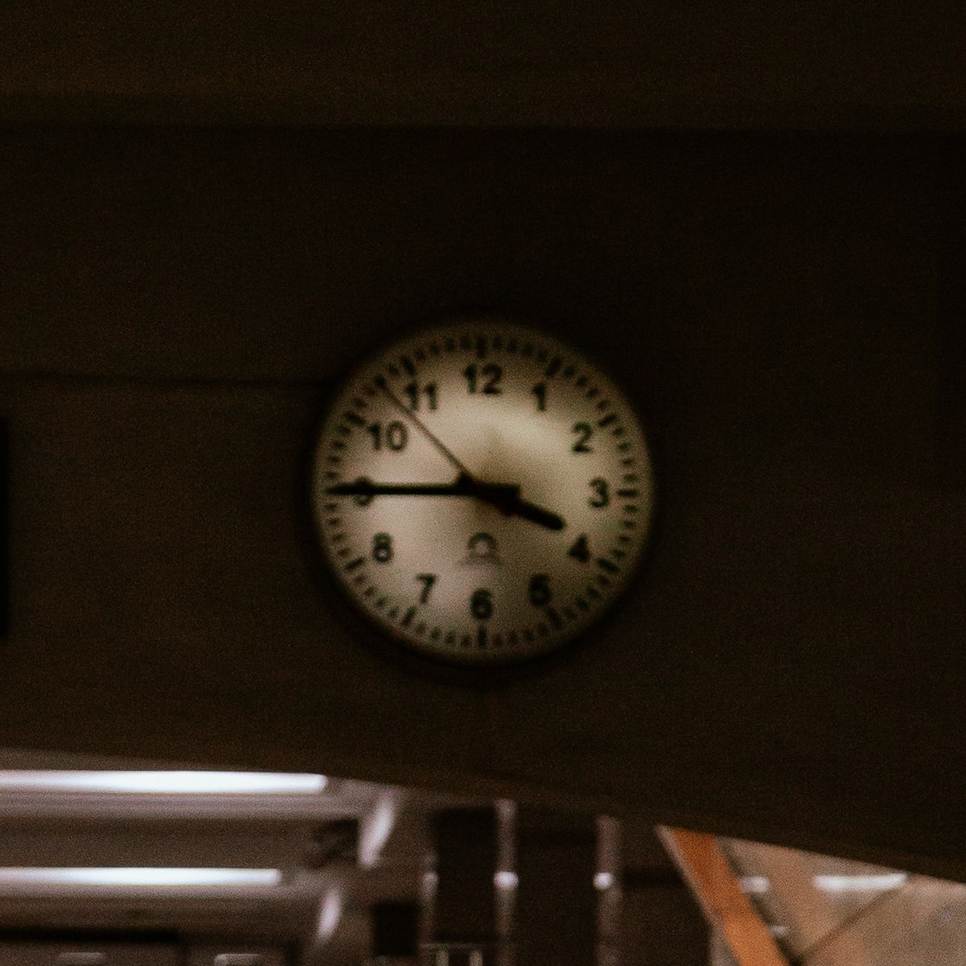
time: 3:45
